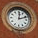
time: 12:11
